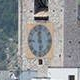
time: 11:28
